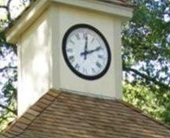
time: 12:10
